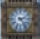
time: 2:23
